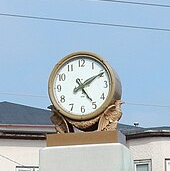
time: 5:09
